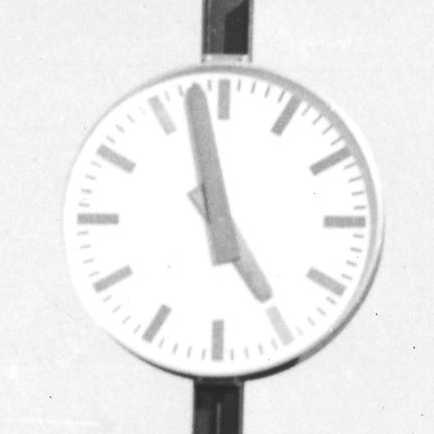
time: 4:58
